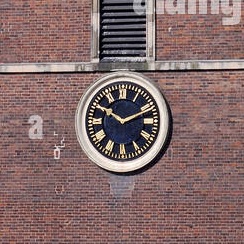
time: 10:11
